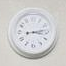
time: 3:13
